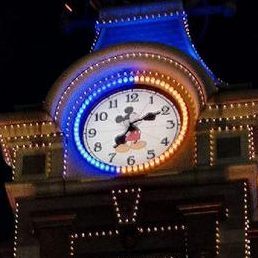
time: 7:10
